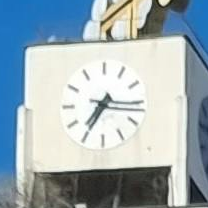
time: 7:15
